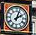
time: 2:03
